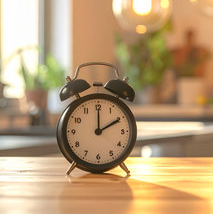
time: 2:00
